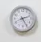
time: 2:25
